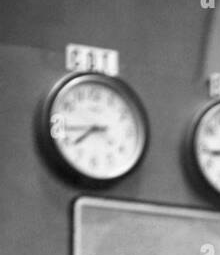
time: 7:43
